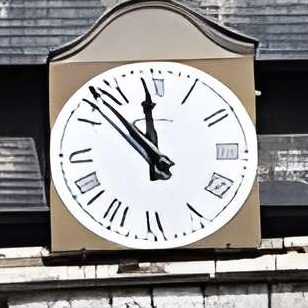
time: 11:52
